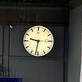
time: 9:31
